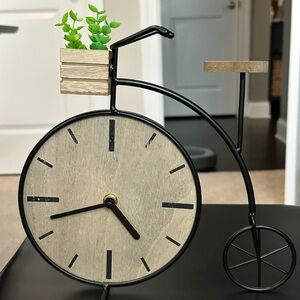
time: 4:42
